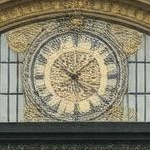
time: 10:07
